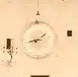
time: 1:42
